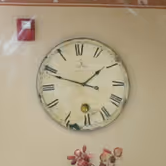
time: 1:48
